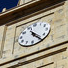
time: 11:24
